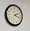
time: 2:18
